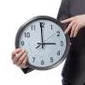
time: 2:59
